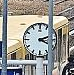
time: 2:18
